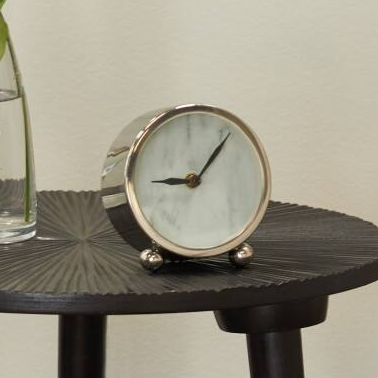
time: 9:06
